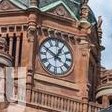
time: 12:49
